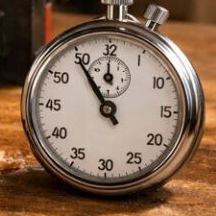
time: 10:54
